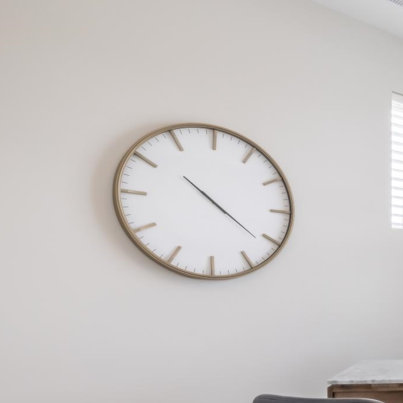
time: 4:21
